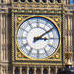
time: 3:09
